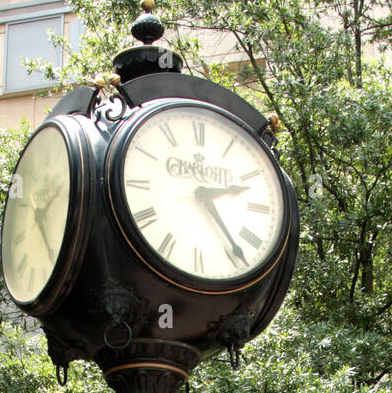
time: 2:23
